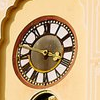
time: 3:48
